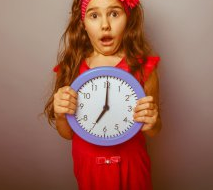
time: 7:00
